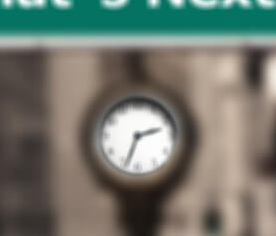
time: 2:33
